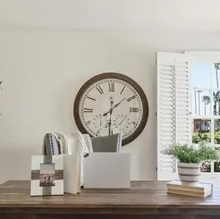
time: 12:08
